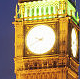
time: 9:40
